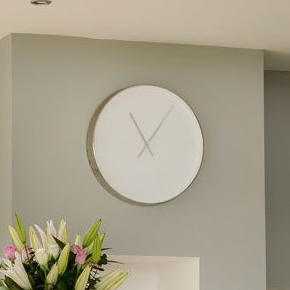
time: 11:05
